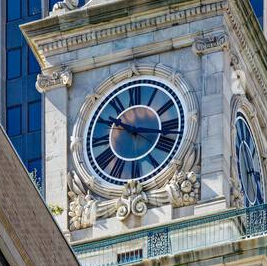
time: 10:16
